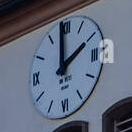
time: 1:59
